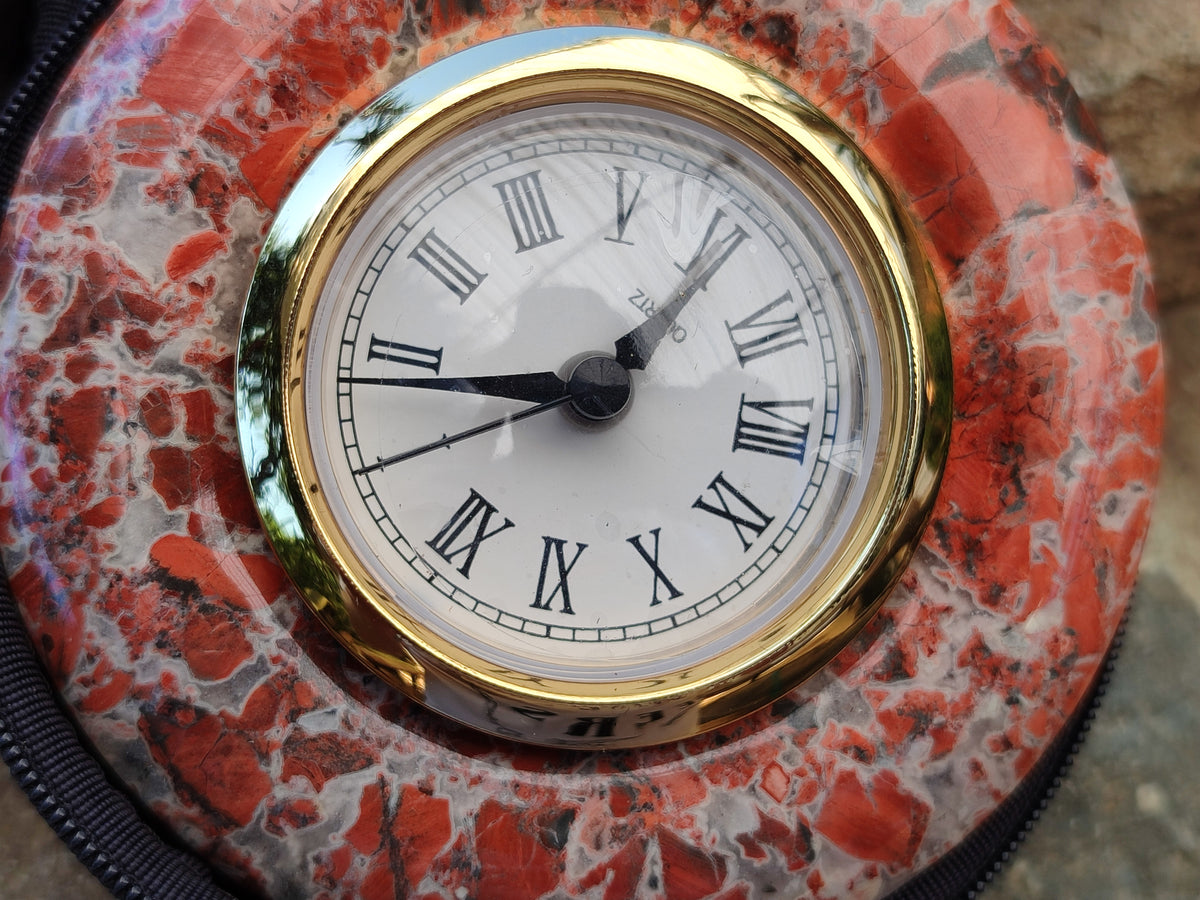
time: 1:43
